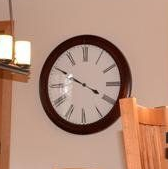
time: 3:49
